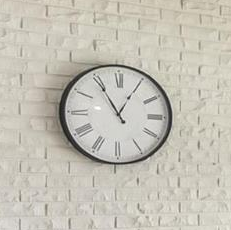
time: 12:54
